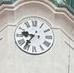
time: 9:36
